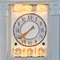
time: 7:39
